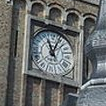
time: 11:04
